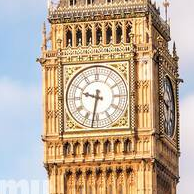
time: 9:32
